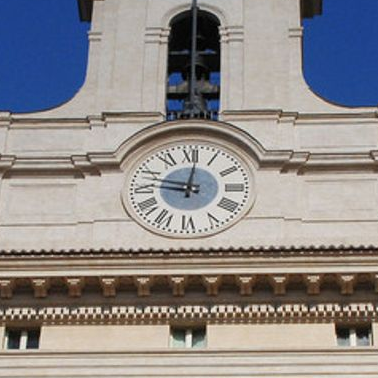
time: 9:01
